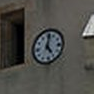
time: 5:01
